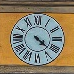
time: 4:21
